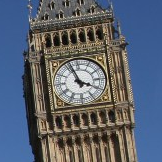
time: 3:57
